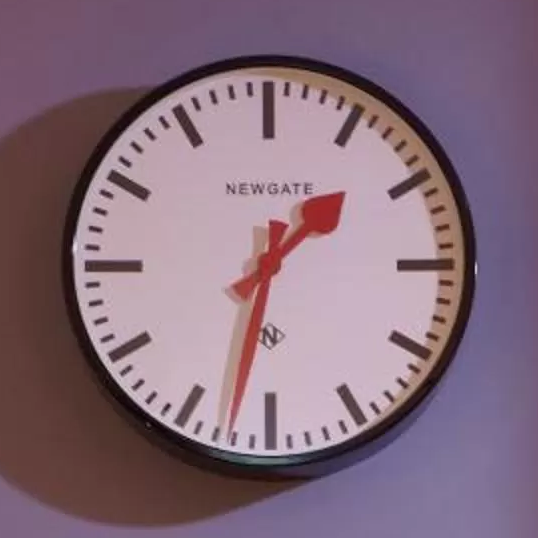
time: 1:32
